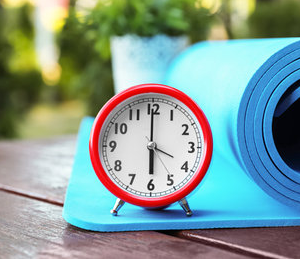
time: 5:59
